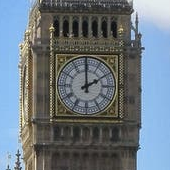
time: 1:59
